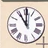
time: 11:00
